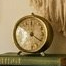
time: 12:20
